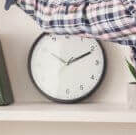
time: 2:11
